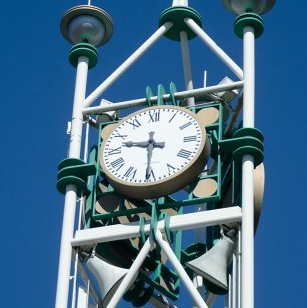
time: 9:30
